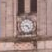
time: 4:44
